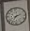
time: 7:11
